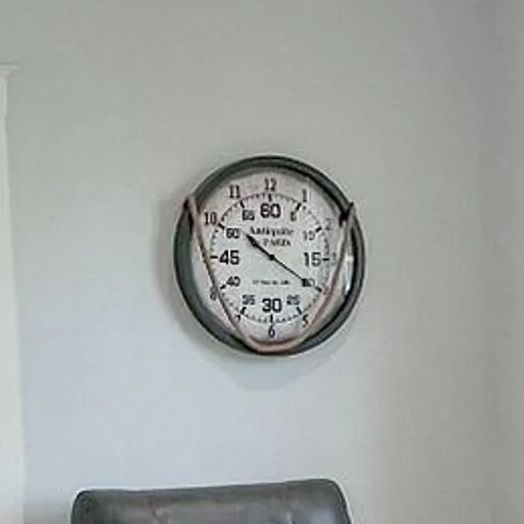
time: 10:20
